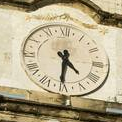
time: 4:31
